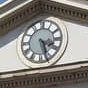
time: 3:26
